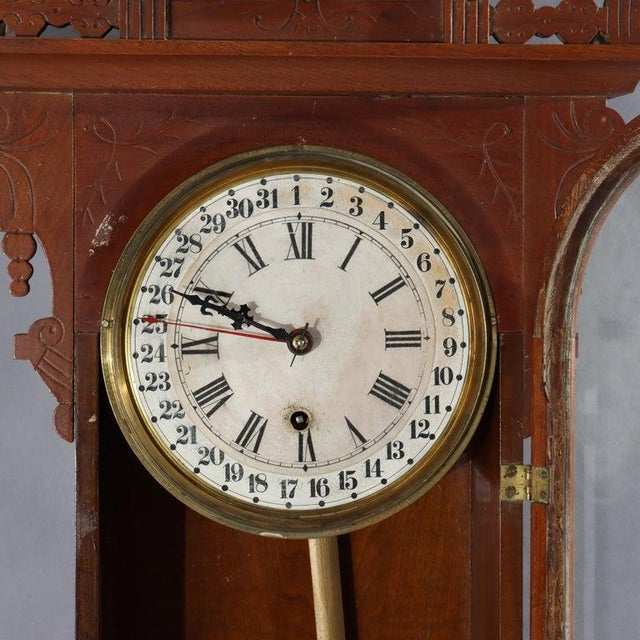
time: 9:48
